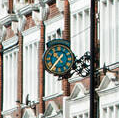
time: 10:37
